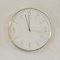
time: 11:57
